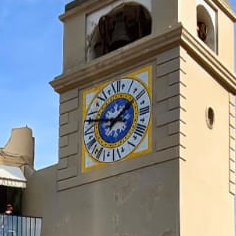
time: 1:46
